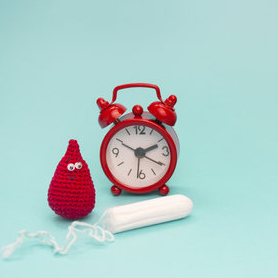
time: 2:19
